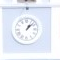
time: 1:07
